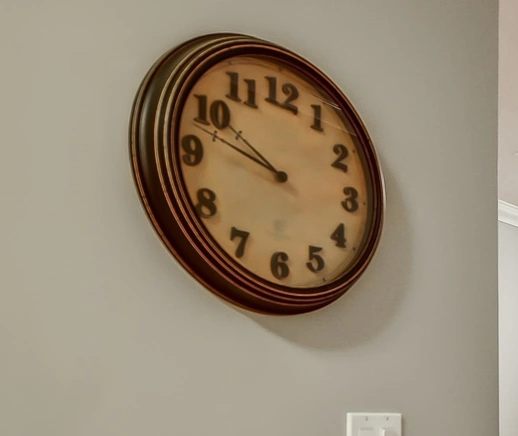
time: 9:47
